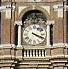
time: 4:18
